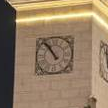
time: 10:53
